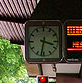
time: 3:32
